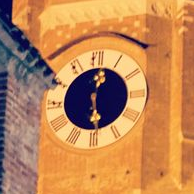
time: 12:28
